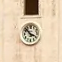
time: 3:52
